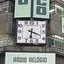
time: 6:18
